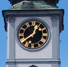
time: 12:40
